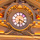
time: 6:19
